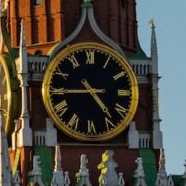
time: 4:44
